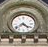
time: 4:38
